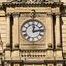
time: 12:13
